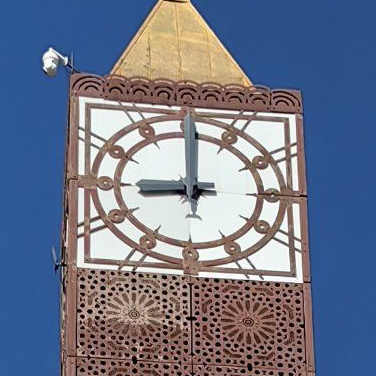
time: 8:59
